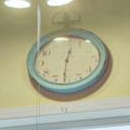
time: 12:30
